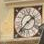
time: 1:37
